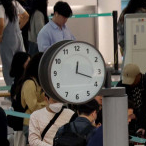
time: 12:18
